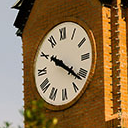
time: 10:21
